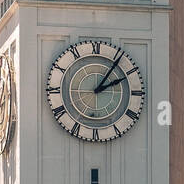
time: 2:06
